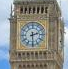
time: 2:29
